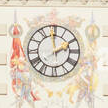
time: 1:59
